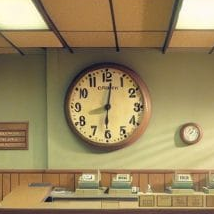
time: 6:01
